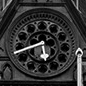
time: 5:40
